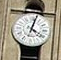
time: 4:02
